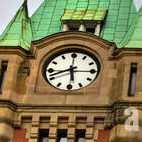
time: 5:41
